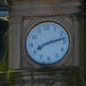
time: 8:12
